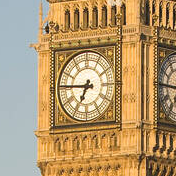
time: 6:45
